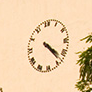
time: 4:23
